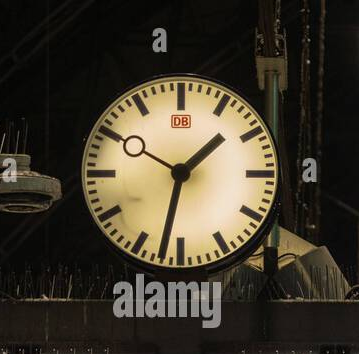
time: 1:32
